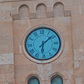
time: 6:08
